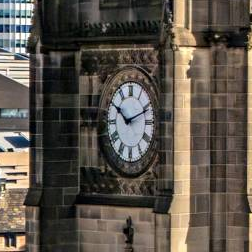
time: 10:11
